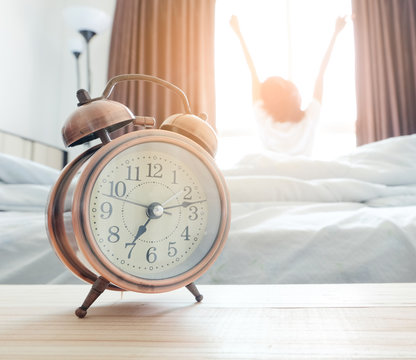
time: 7:12
